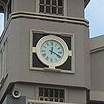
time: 12:19
